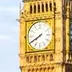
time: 7:40
